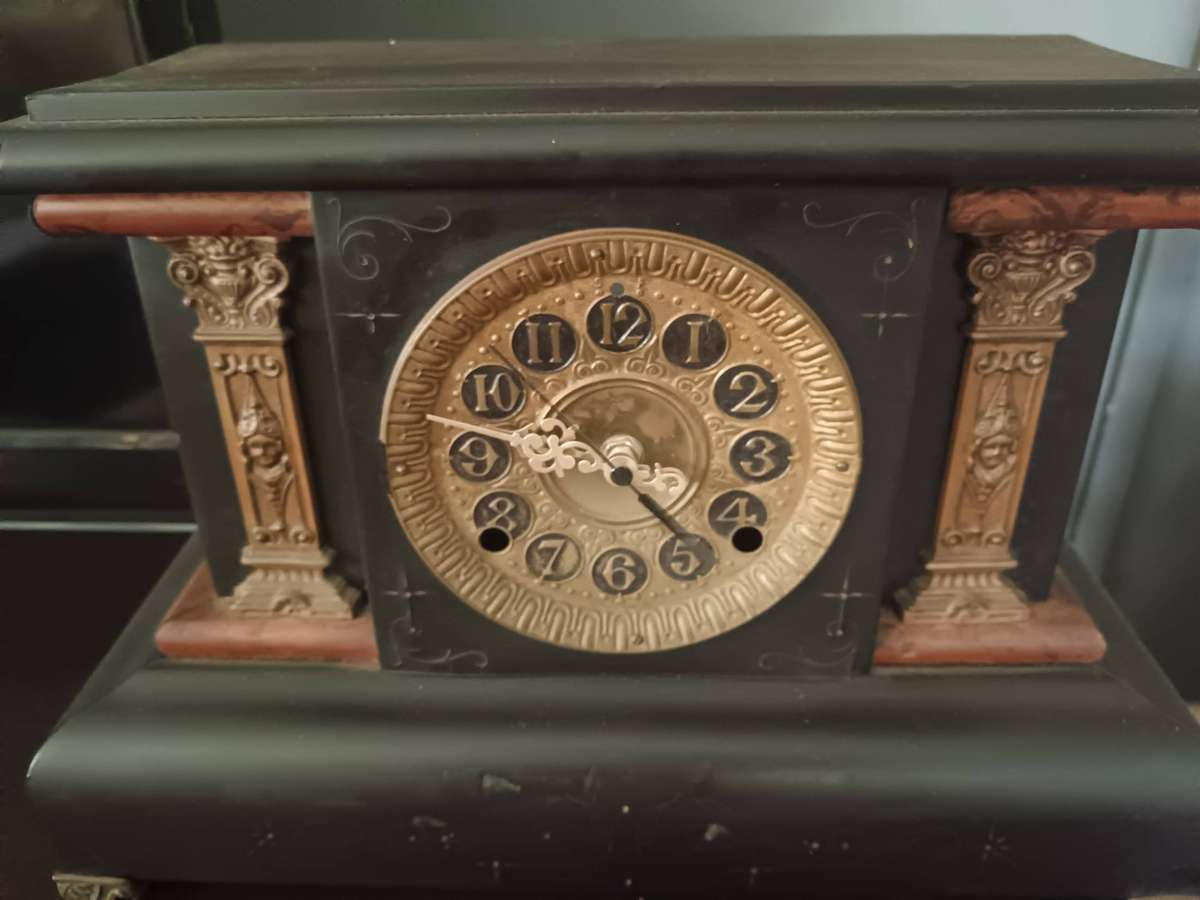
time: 9:22
